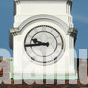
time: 9:43
